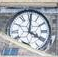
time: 4:00
